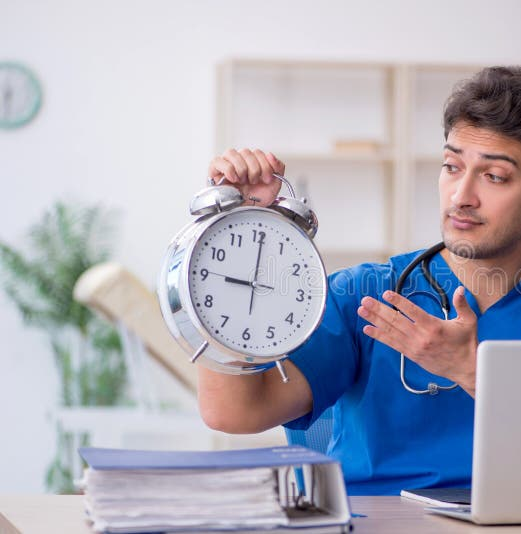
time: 9:00
